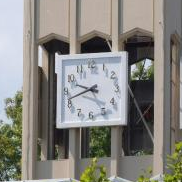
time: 9:42
